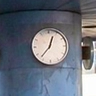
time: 12:36
